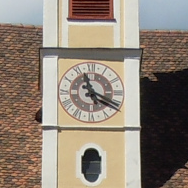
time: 11:19
